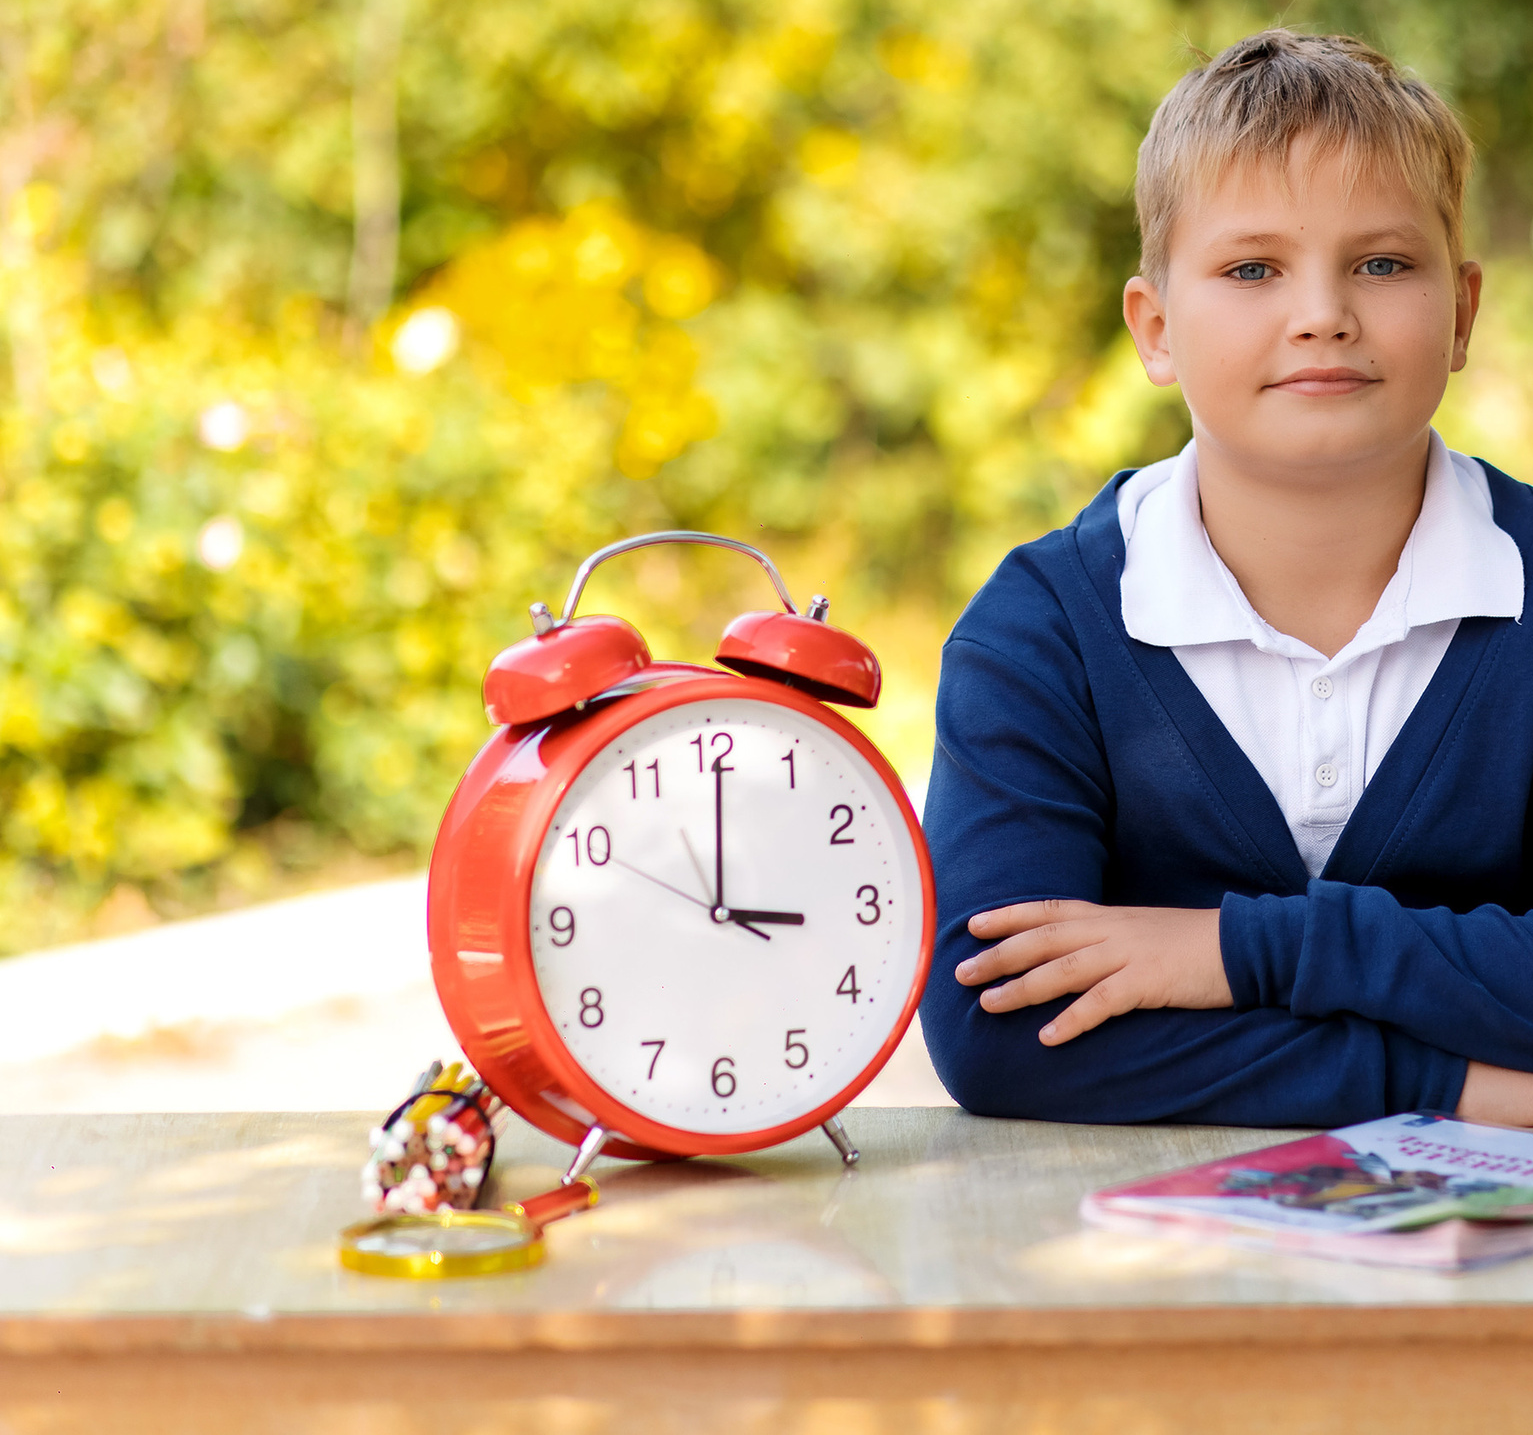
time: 3:00
